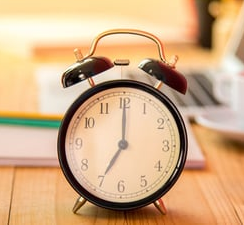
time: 7:00
